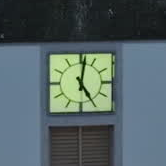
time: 5:01
